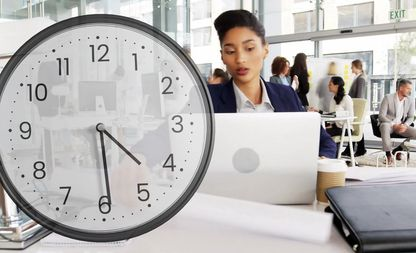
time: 4:29
